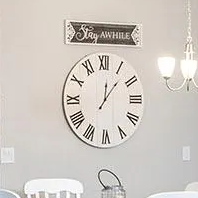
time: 12:06
